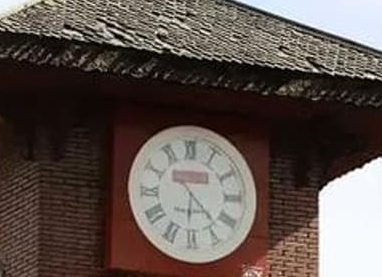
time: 6:22
